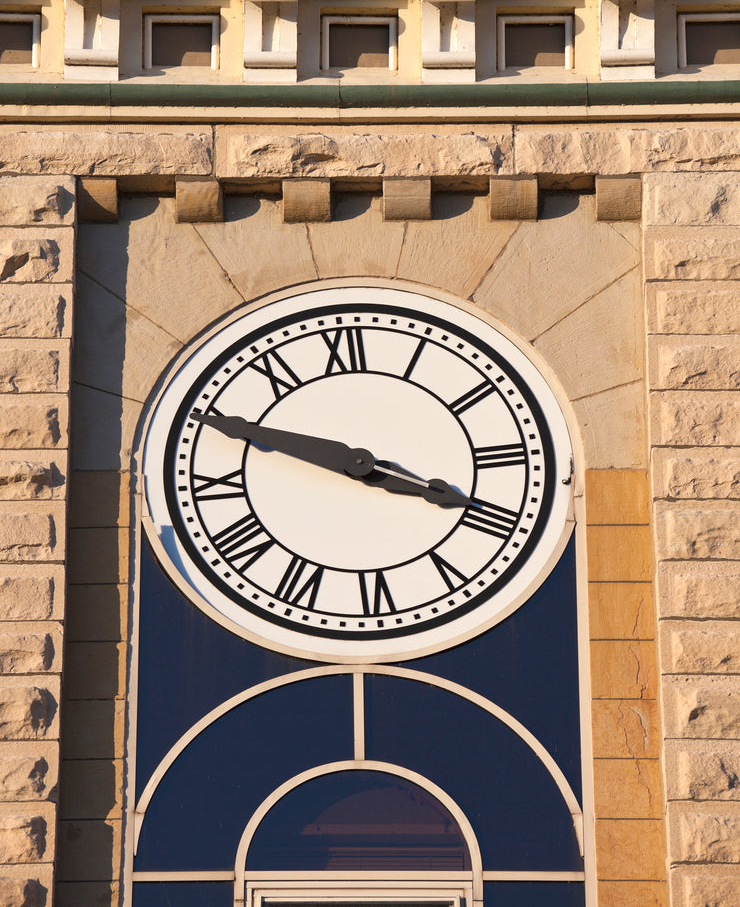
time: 3:48
